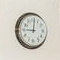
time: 9:01
